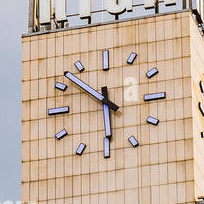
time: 5:51
